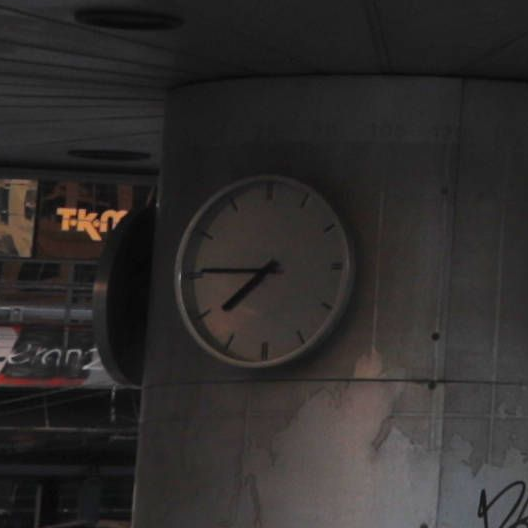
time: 7:45
